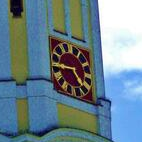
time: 4:44
